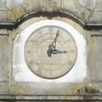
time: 3:03
